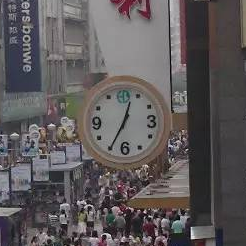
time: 12:34
